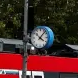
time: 4:07
